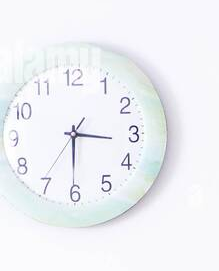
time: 3:30
